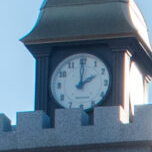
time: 2:00
